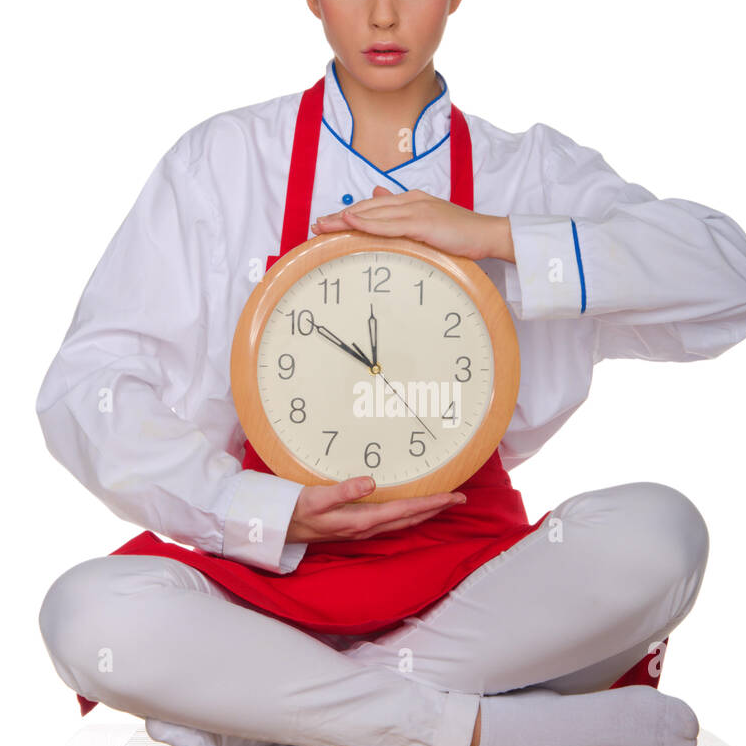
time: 11:50
